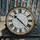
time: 10:22
